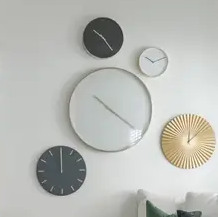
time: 10:20
